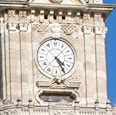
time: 4:25
